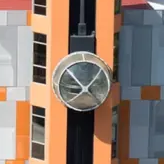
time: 9:07
